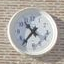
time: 10:36
